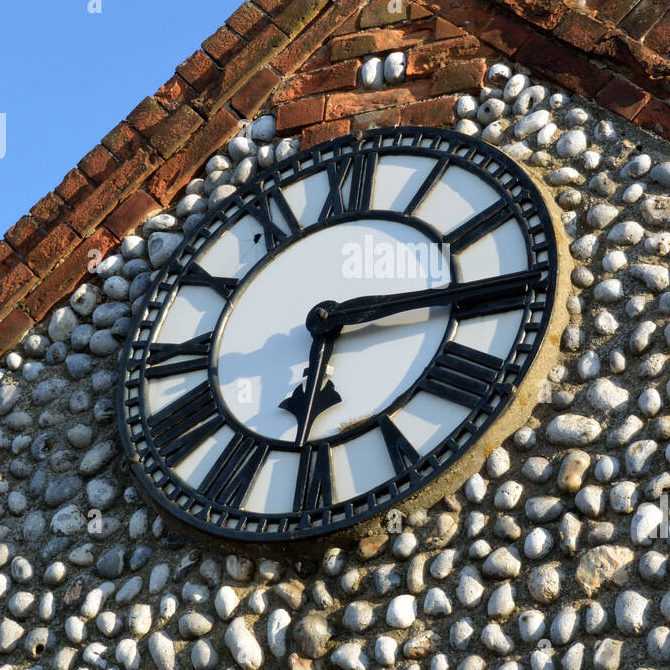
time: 6:14
